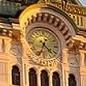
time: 4:33
